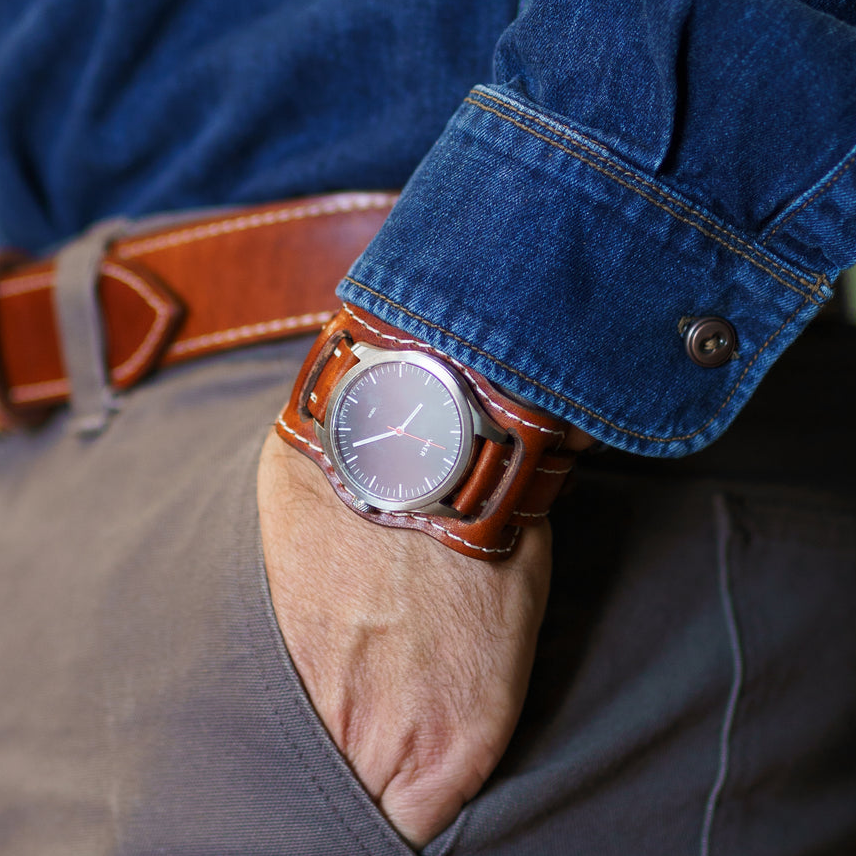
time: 1:42
